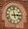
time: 2:58
